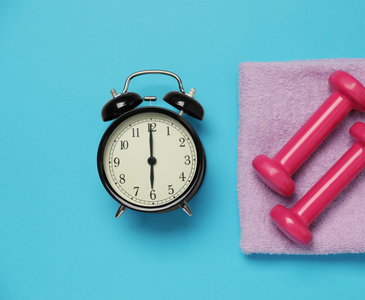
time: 6:00
